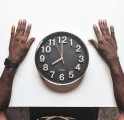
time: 7:59
